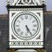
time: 5:24
